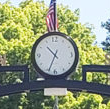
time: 10:34
